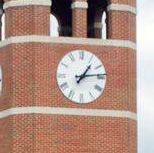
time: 1:13
